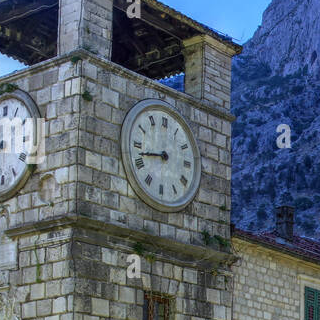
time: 8:42
